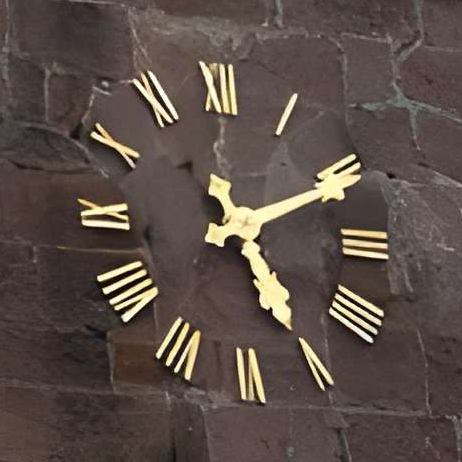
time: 5:10
